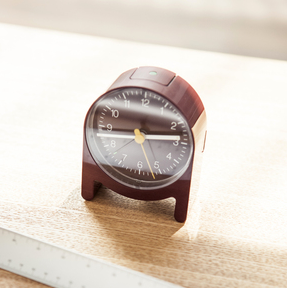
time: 2:44
